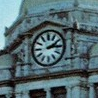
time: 2:14
